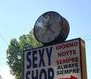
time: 4:35
